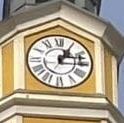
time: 1:13
